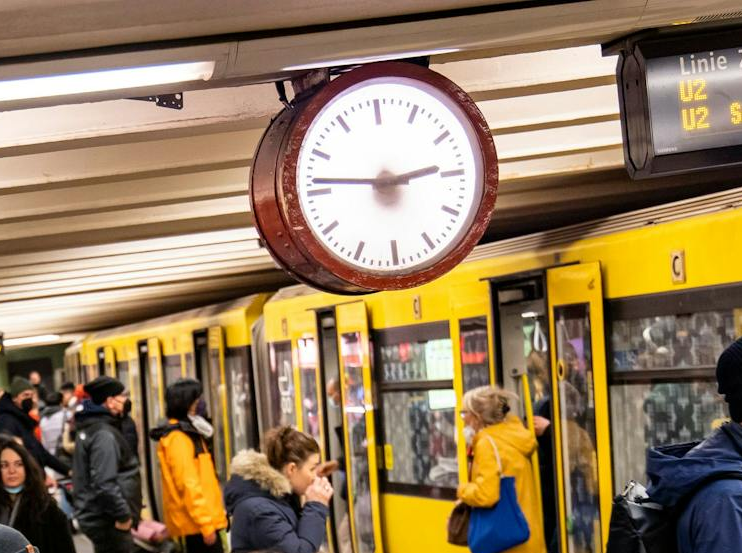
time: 2:46
